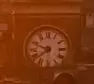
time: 9:38
